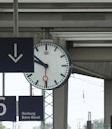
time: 9:51
